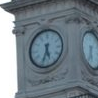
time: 5:33
